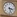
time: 3:27
